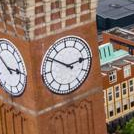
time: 2:50
